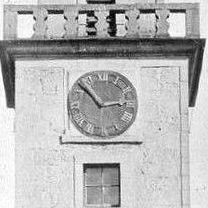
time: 2:52
